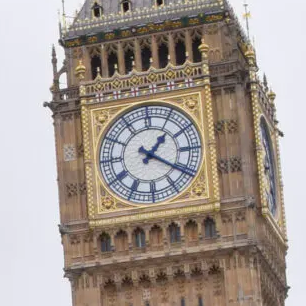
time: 1:20
